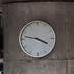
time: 3:47
